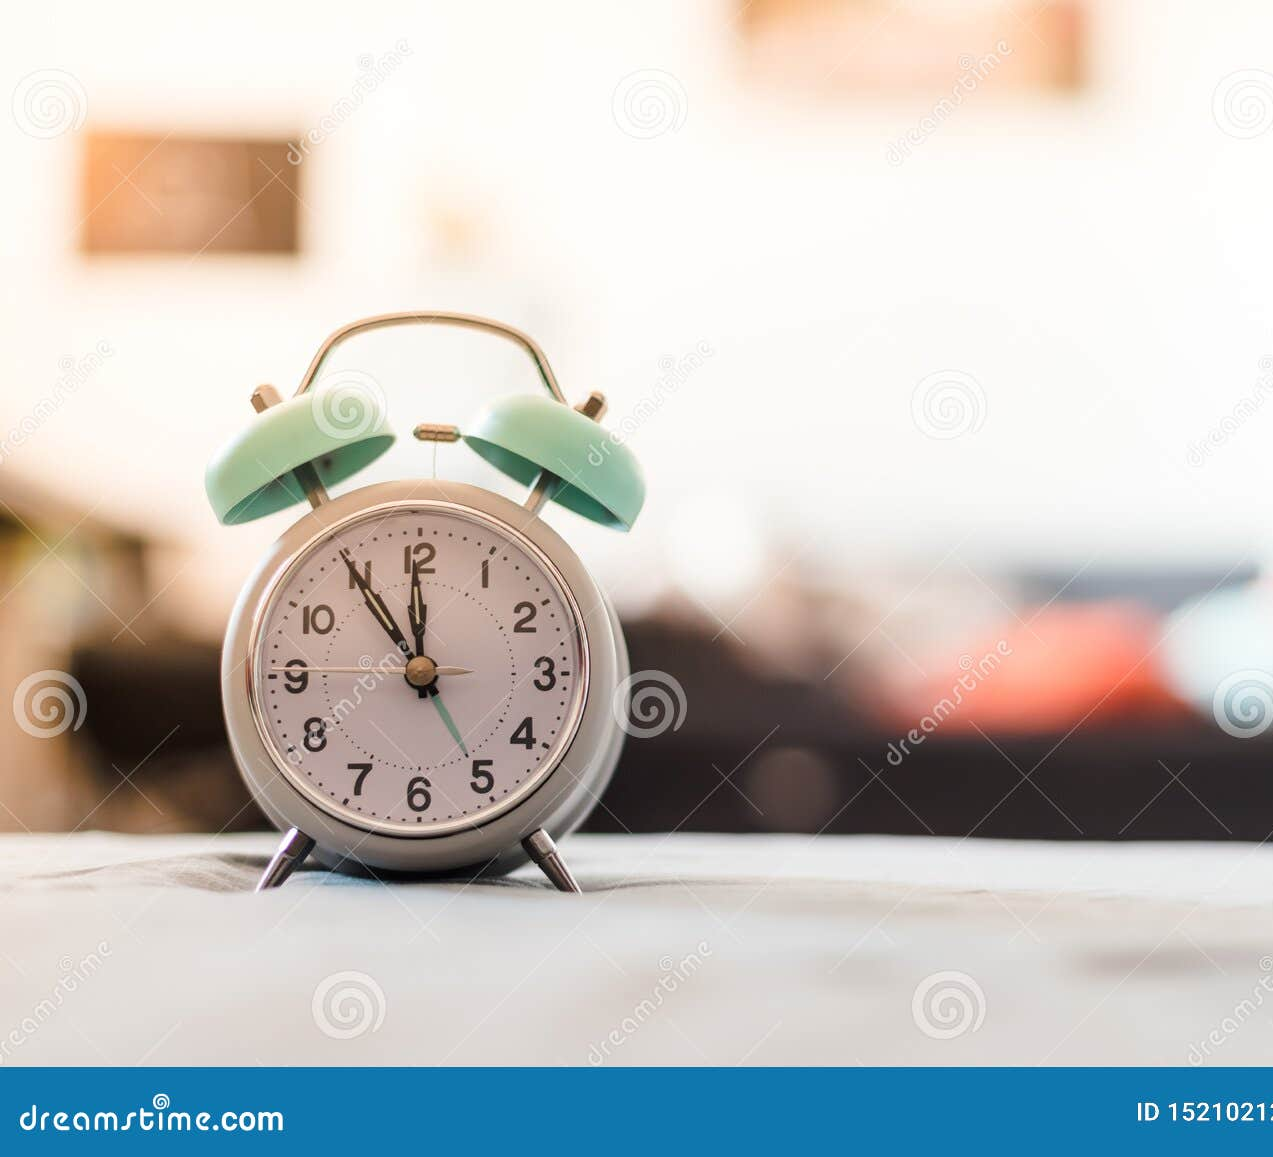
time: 11:54
